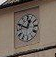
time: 12:48
